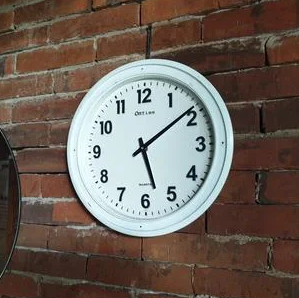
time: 5:08
